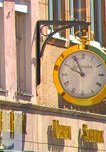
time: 9:55
